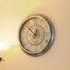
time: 12:52
